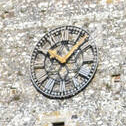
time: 10:07
